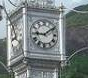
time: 9:09
